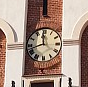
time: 11:42
